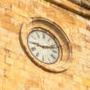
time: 9:12
